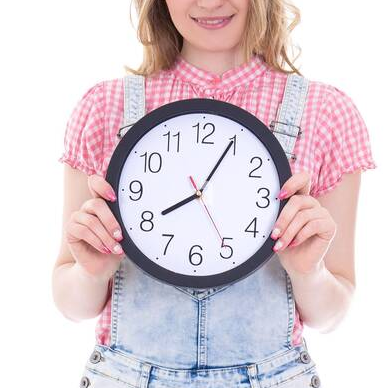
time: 8:04
